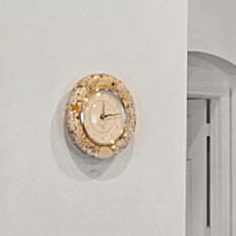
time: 12:12
